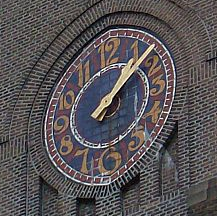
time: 1:07
